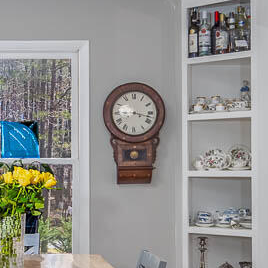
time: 9:17
